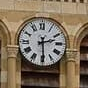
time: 2:29
